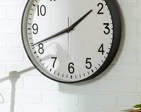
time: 1:41
